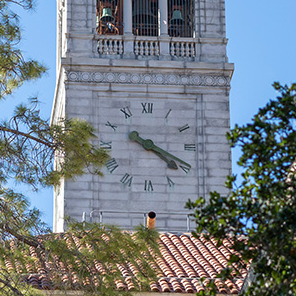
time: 4:19
